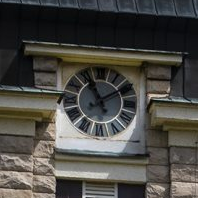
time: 11:09
